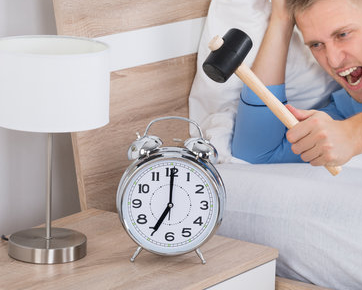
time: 7:00
